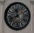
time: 11:41
